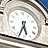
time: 5:33
